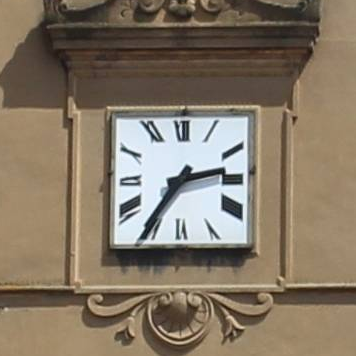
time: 2:35
